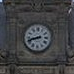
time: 8:42
